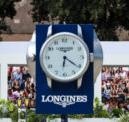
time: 6:20
